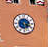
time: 5:18
